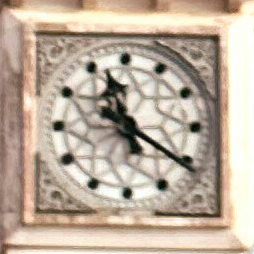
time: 11:20
